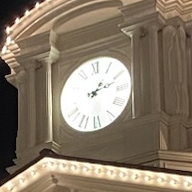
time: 1:11
